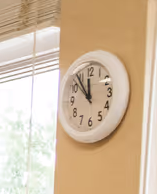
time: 11:53
